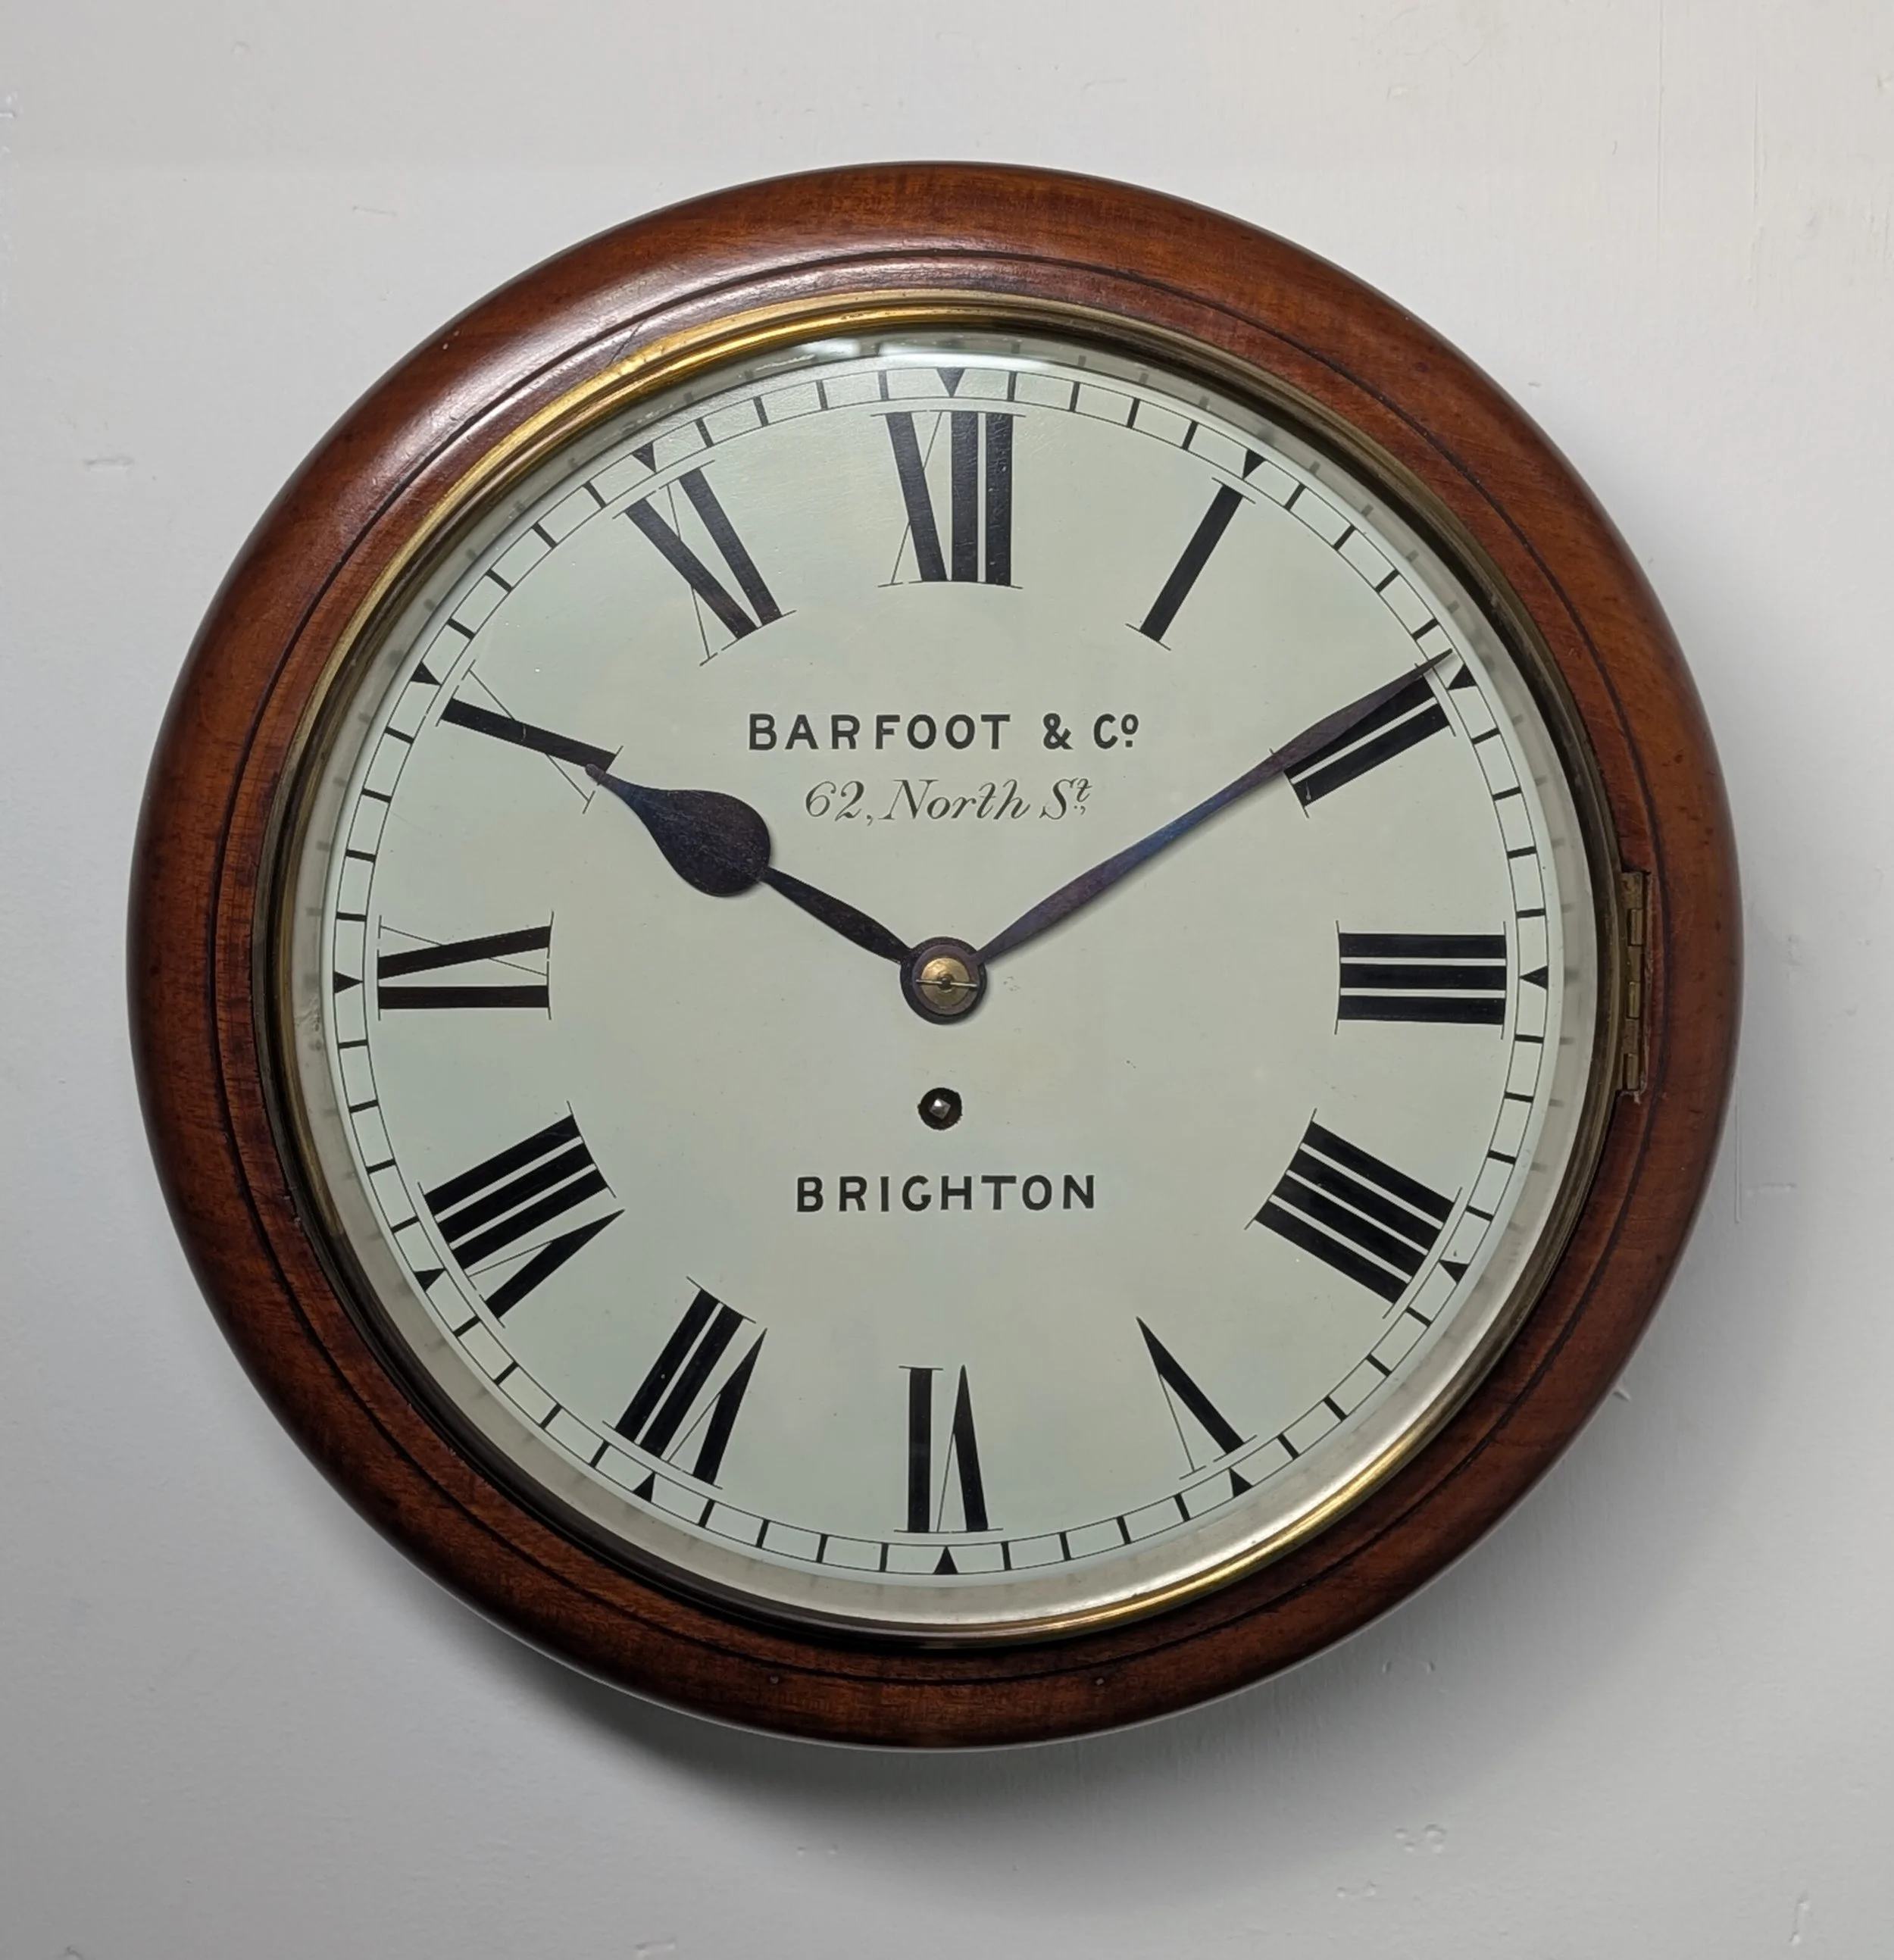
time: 10:09
